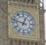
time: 12:47
